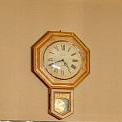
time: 4:41
